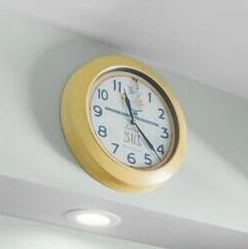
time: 11:21
